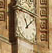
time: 11:07
